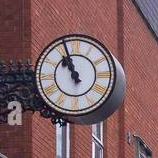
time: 10:56
